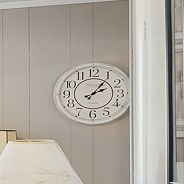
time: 2:06
